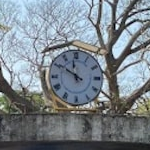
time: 11:50
